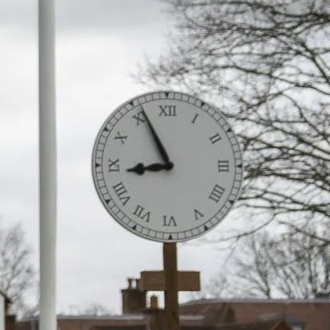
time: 8:55
